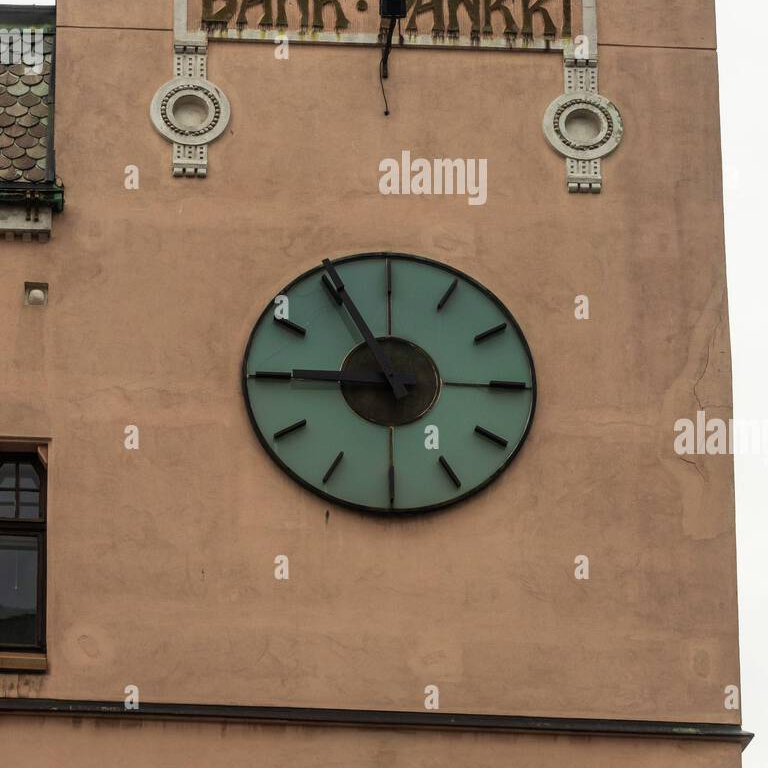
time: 8:54
